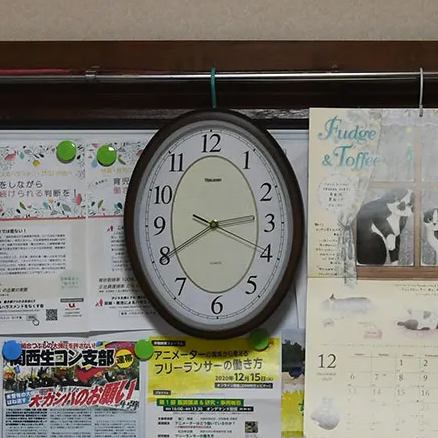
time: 2:40
